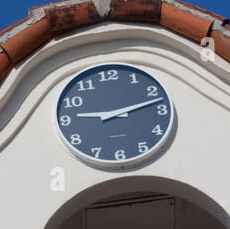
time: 9:12
